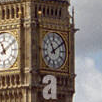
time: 11:09
